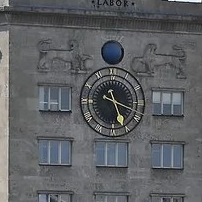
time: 5:18
